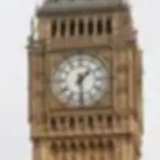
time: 1:29
